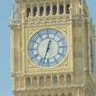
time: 12:33
